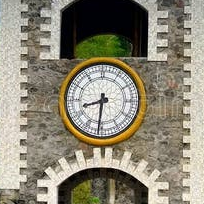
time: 8:31
